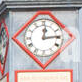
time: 12:14
